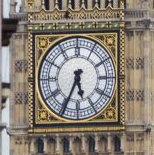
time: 5:34
